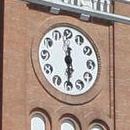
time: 5:30
